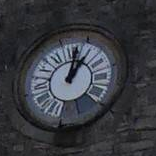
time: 1:02
